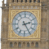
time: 2:24
